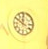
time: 11:50
